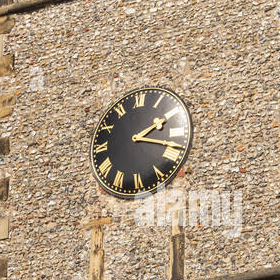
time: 2:18
